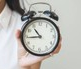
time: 10:44
